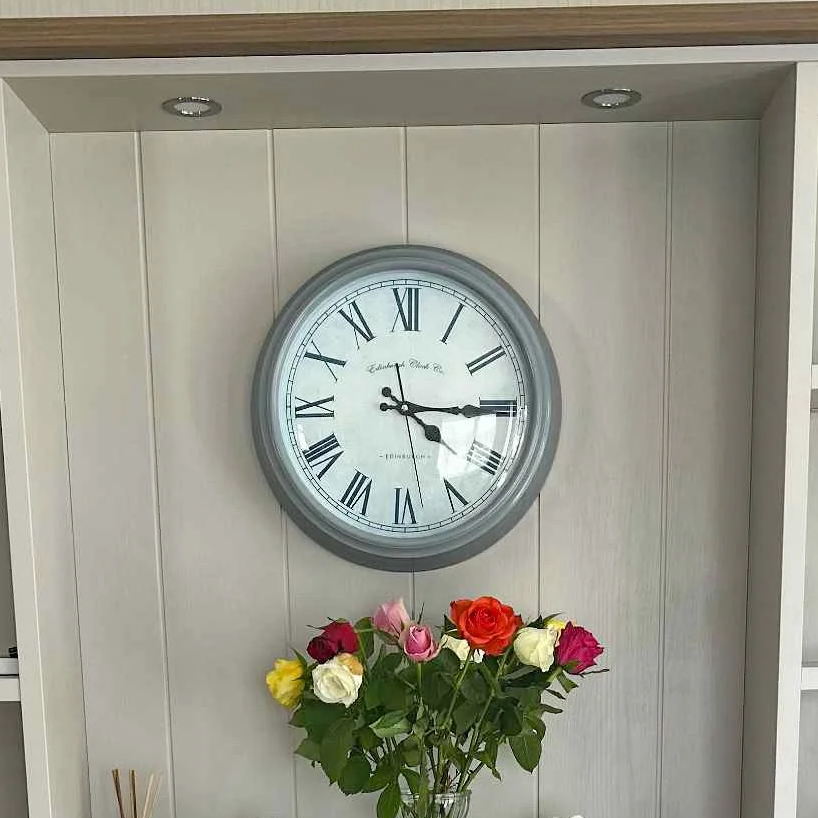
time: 4:14
